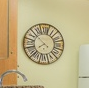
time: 7:51
